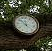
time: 11:52
